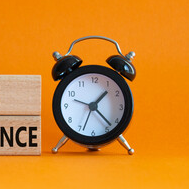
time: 1:22
